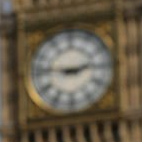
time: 2:46
